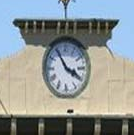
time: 3:54
